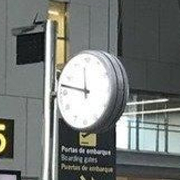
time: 11:47
